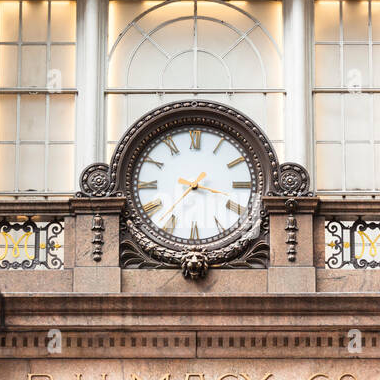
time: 3:36
